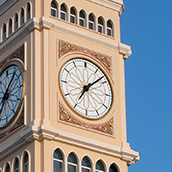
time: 7:08
